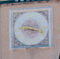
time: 9:17
